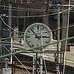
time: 2:52
